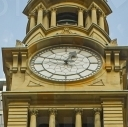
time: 12:48
